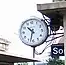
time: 10:32
